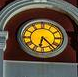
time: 6:23
